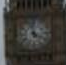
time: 3:58
